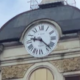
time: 9:22
